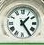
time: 1:24
